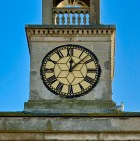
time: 12:07
